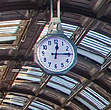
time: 12:14
